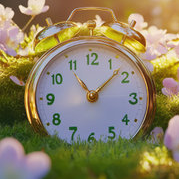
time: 11:07
